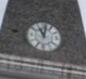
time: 11:01
